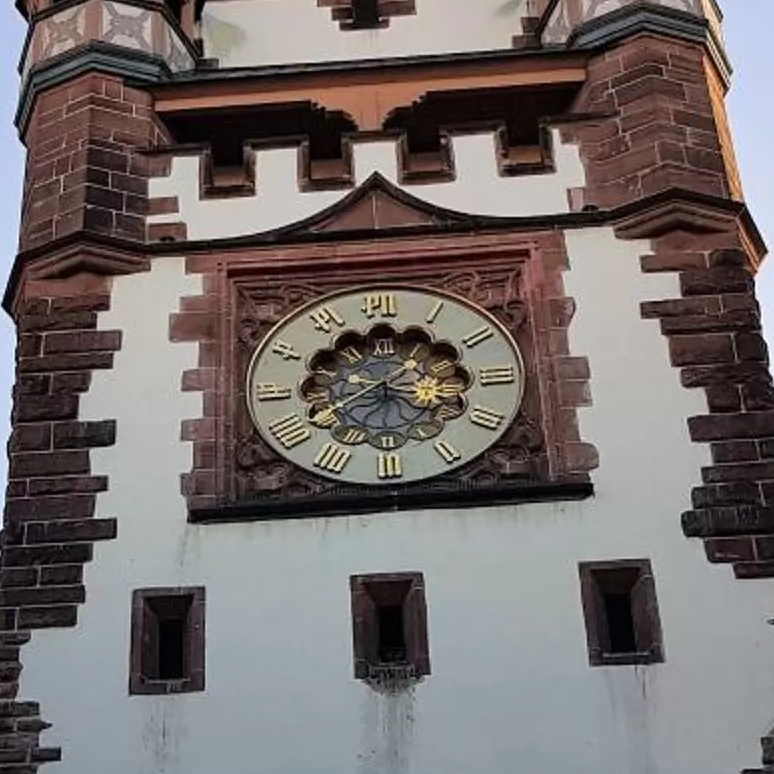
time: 3:40
